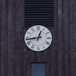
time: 12:43
